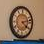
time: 4:12
